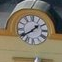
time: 1:39
